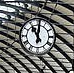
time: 11:01
